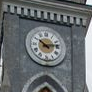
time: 10:13
